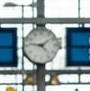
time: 9:08
